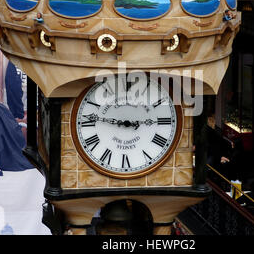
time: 2:46
